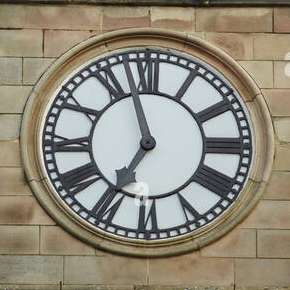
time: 6:57
